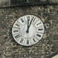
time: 12:03
